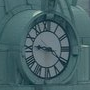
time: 9:20
